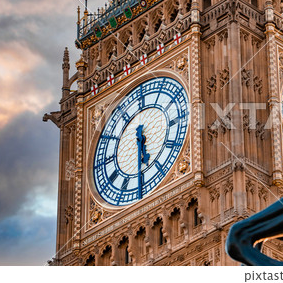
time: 5:30
